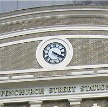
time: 4:19
